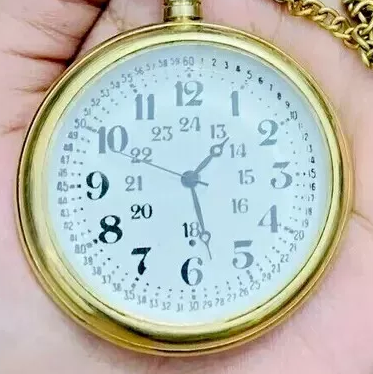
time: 1:28
